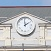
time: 1:59
